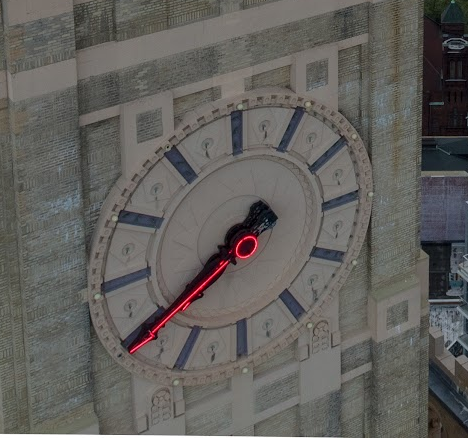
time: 7:39
